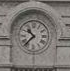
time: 10:37
